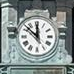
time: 11:52
